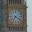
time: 7:20
